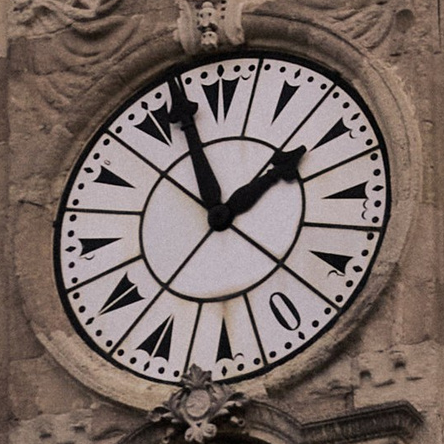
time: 1:57
